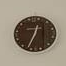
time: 12:32
